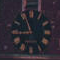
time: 8:56
